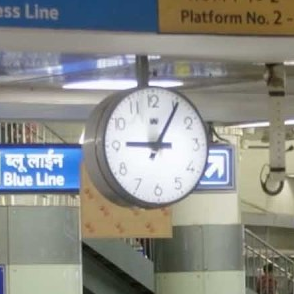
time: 9:05
